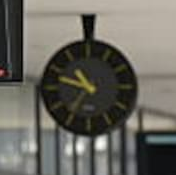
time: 10:47
